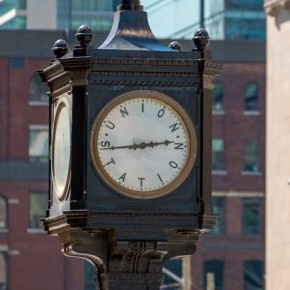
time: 2:44
